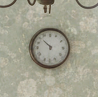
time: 10:31
